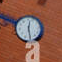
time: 12:29
